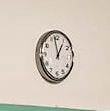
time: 12:58
